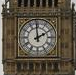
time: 1:59
